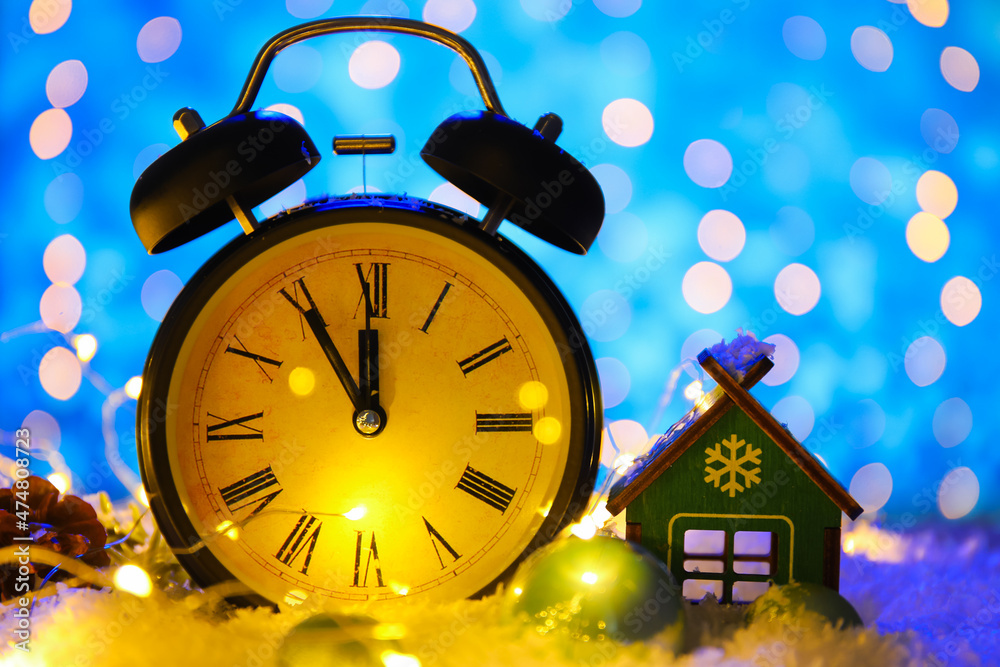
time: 11:54
